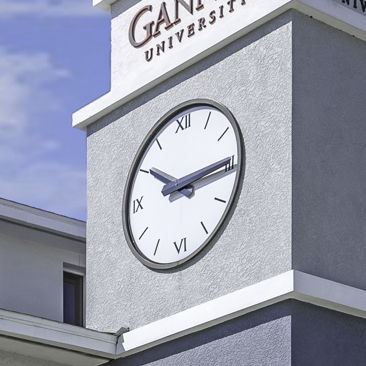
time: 10:14
